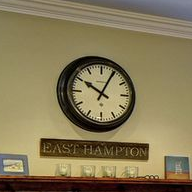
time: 10:04
